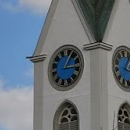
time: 3:05
